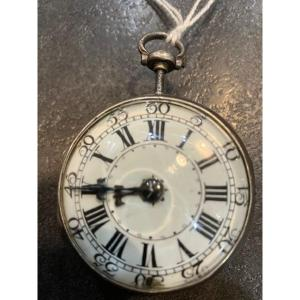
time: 8:44
